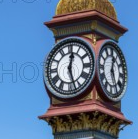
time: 12:27
